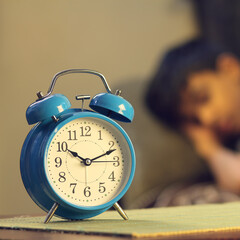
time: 10:11
